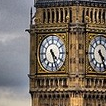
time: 4:26
